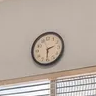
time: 2:30
